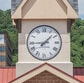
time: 1:44
